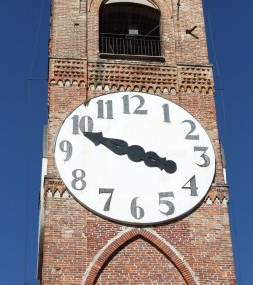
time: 3:48
